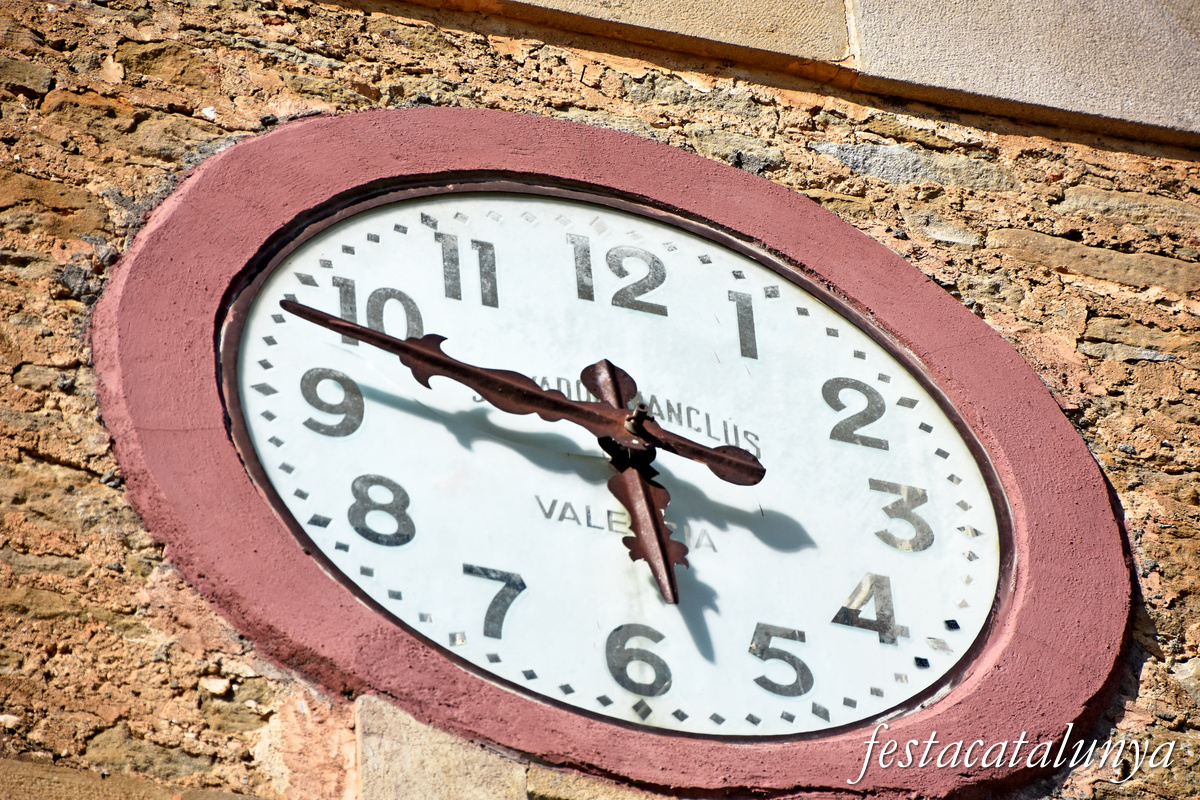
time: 5:48
